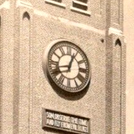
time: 12:42
